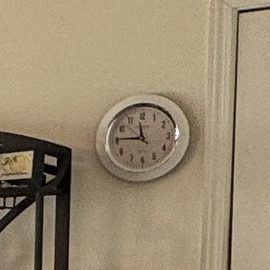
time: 11:45
